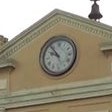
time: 9:53
